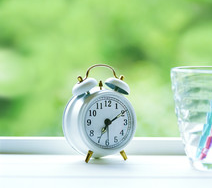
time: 7:10
